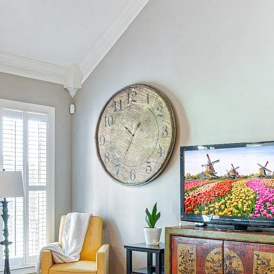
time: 10:34
